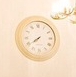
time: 7:39
